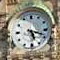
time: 5:18
